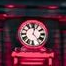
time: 12:23
